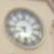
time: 5:40
